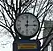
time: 12:14
